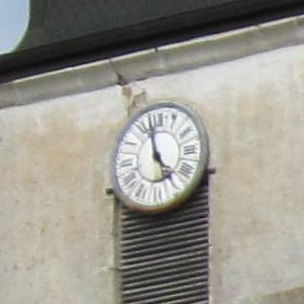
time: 4:57
